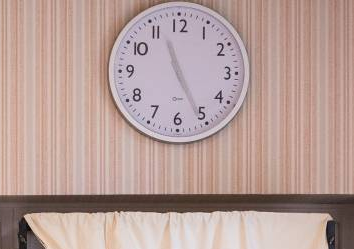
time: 11:25
